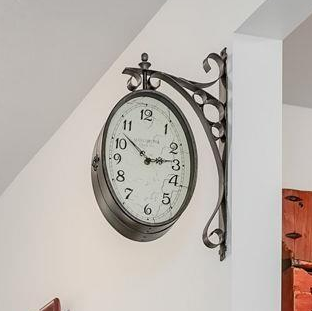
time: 2:48
